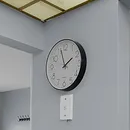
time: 1:57
